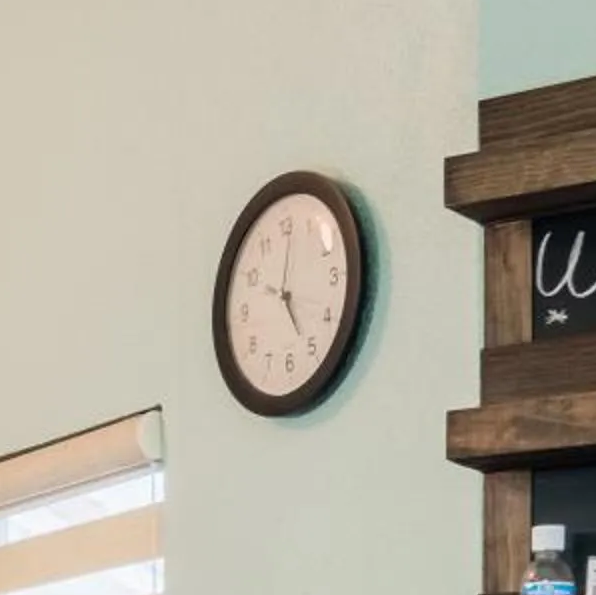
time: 5:01
